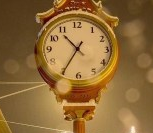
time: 10:34
